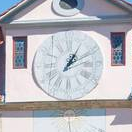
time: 1:10
